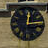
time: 12:14
